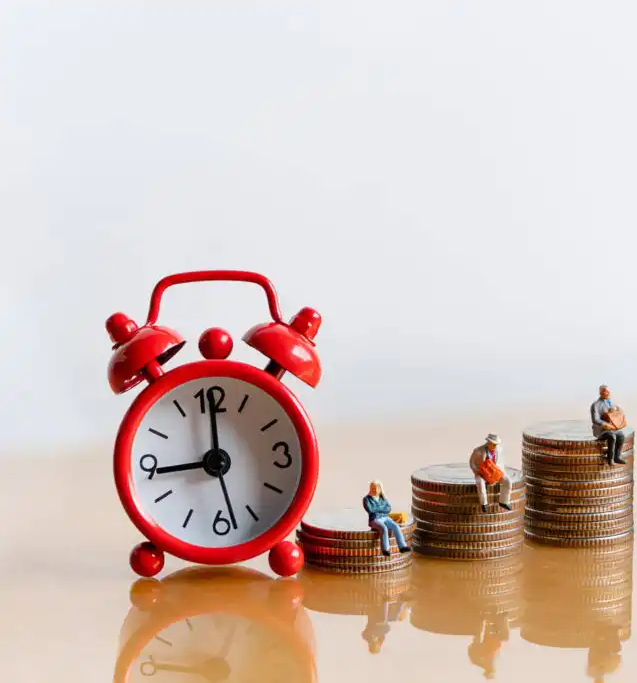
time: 9:00
